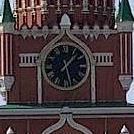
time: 1:28
